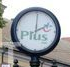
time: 2:00
